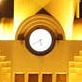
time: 5:40
